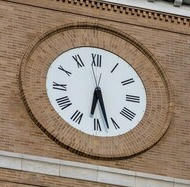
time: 6:27
